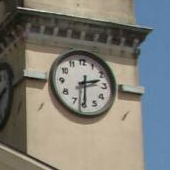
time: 2:30
